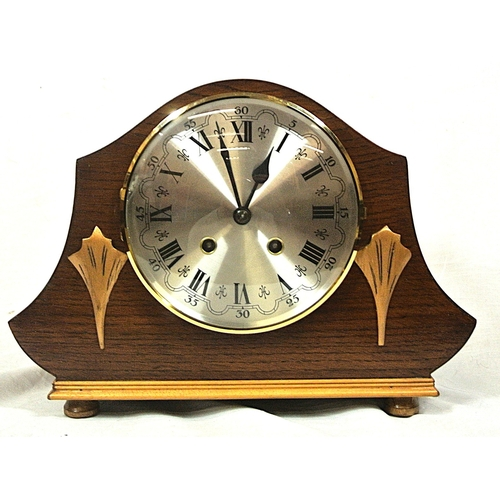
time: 12:57
